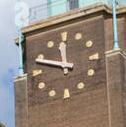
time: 11:48
